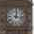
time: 12:16
